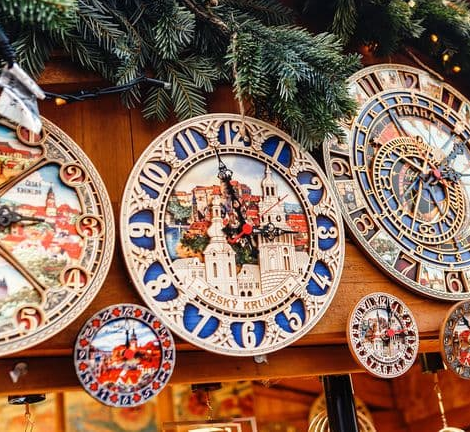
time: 11:58
